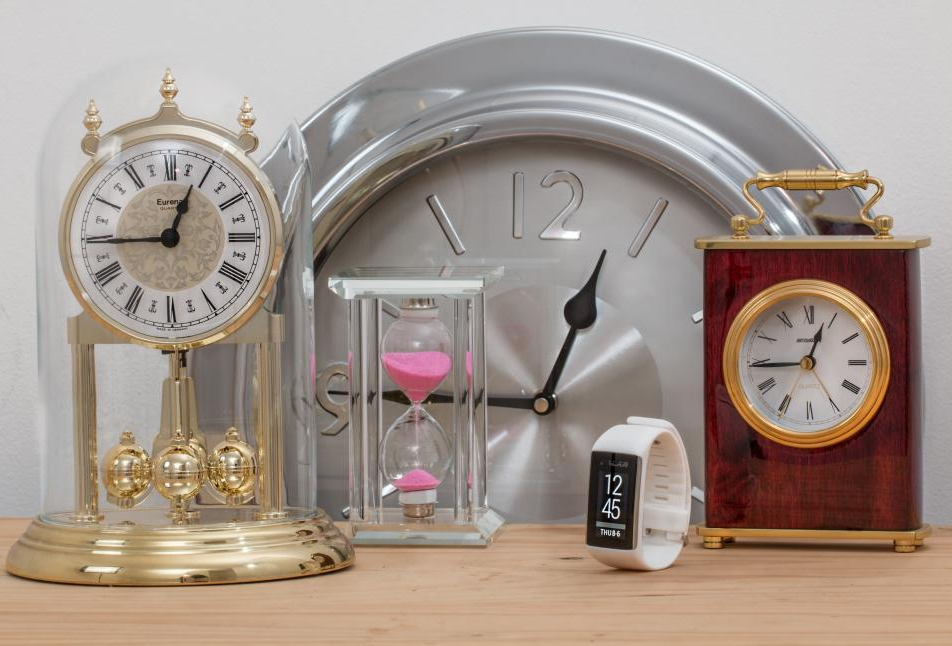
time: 12:45
